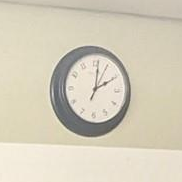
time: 2:01
